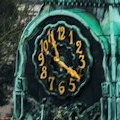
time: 11:20
